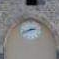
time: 2:41
